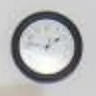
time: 1:46
